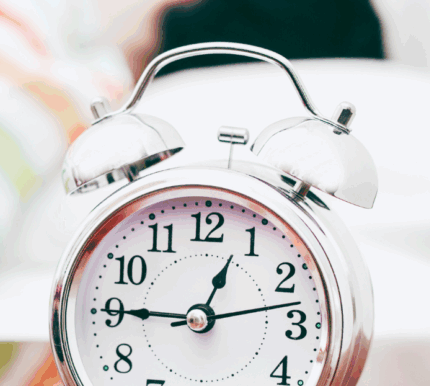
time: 12:45
